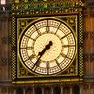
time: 7:36
